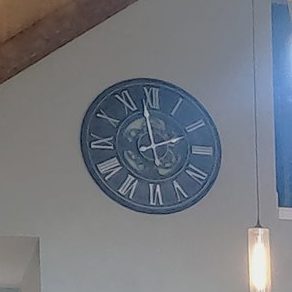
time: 1:58
